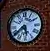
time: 5:38
